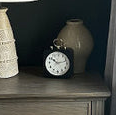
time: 10:12
